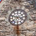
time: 3:48
